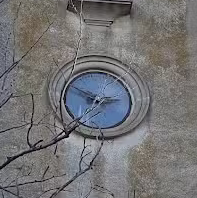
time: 2:49
